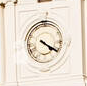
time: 4:20
